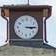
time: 3:14
